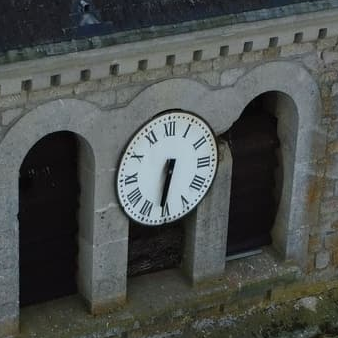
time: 6:31
